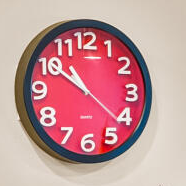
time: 10:50
